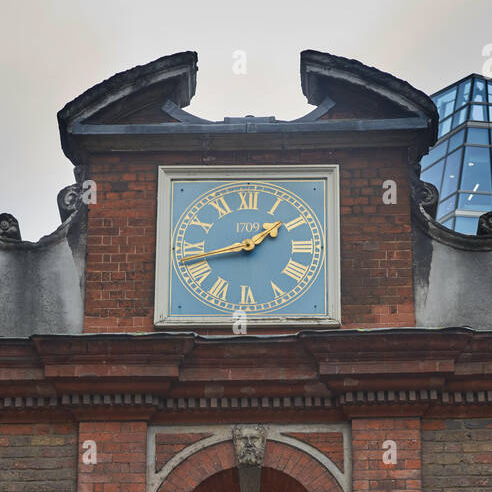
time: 1:42
